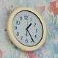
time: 1:24
